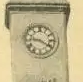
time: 9:20
